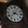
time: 3:37
